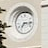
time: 7:15
